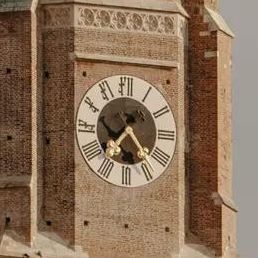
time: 7:23
